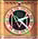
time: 2:21
